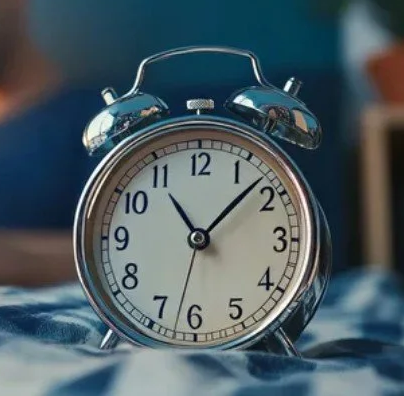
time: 11:07
